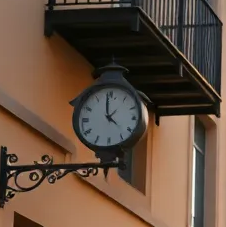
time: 3:58
